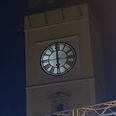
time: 5:59
